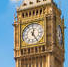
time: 12:24
